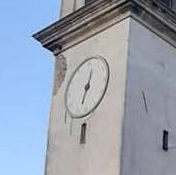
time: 12:32
